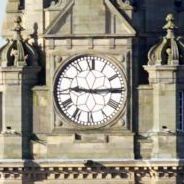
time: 9:14
